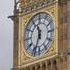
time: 11:33
